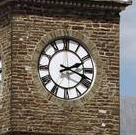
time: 2:18
